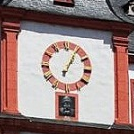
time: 1:04
